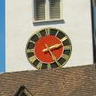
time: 2:24
